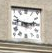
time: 2:47
